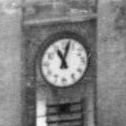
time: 11:02
